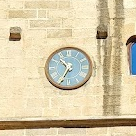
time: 10:34
